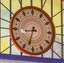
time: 8:32
